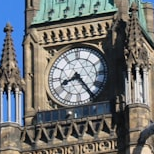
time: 8:24
